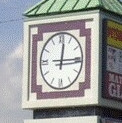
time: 12:14
